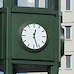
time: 12:27
